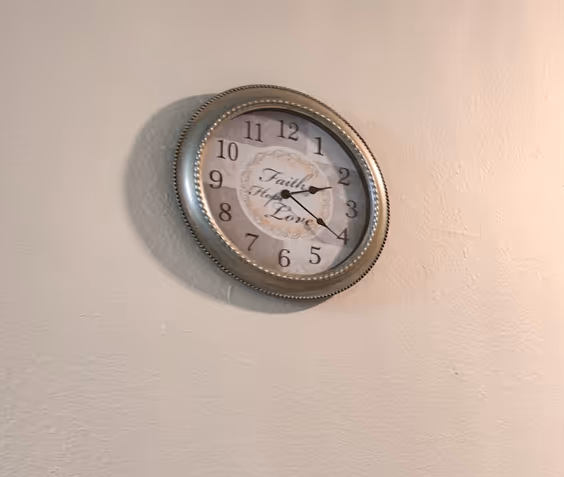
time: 2:20
